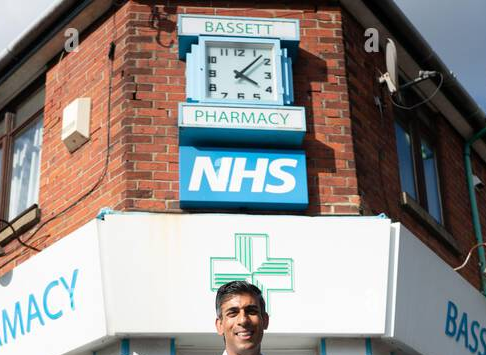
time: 4:07
